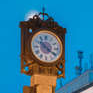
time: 10:20
